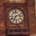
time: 7:12
